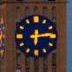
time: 6:14
